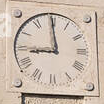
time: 8:59
